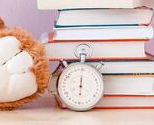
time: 5:59
